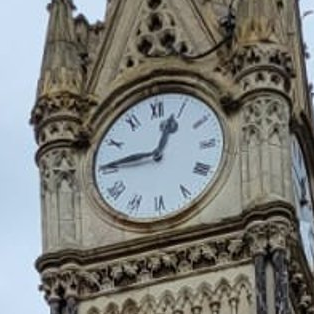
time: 12:45
